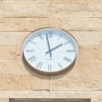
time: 1:58
